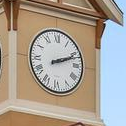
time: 2:11
